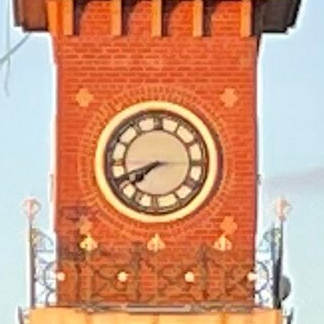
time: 7:41
